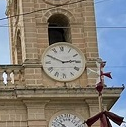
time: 2:49
